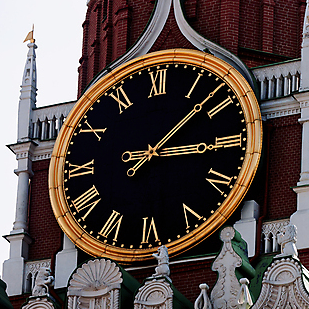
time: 3:08
